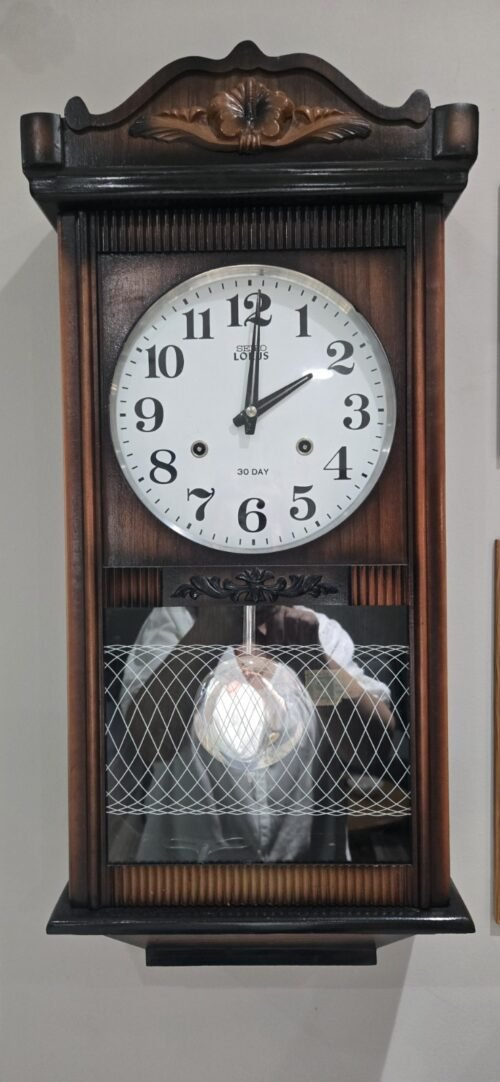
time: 2:01
